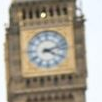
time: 4:12
